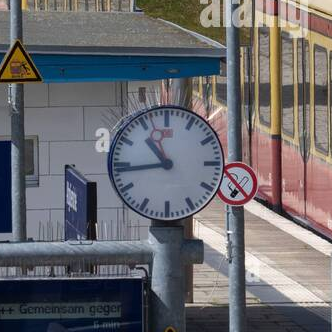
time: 10:43
